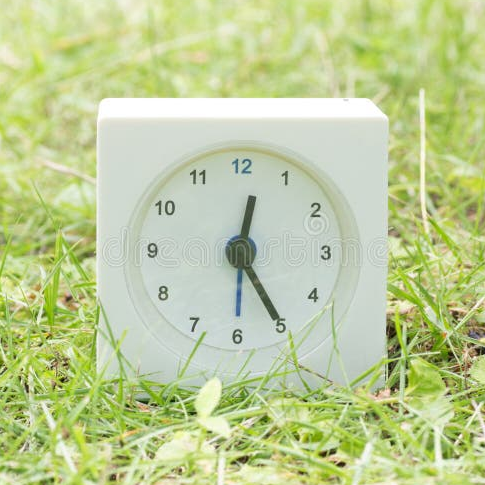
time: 12:24
